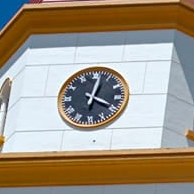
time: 4:02
